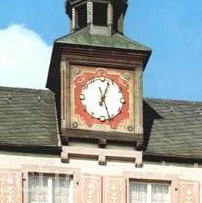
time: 5:03
